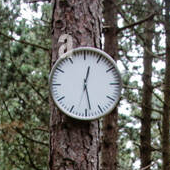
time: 12:28
